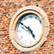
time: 4:50
